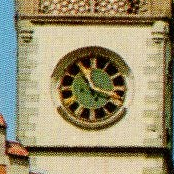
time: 11:17
